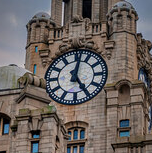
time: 5:02
